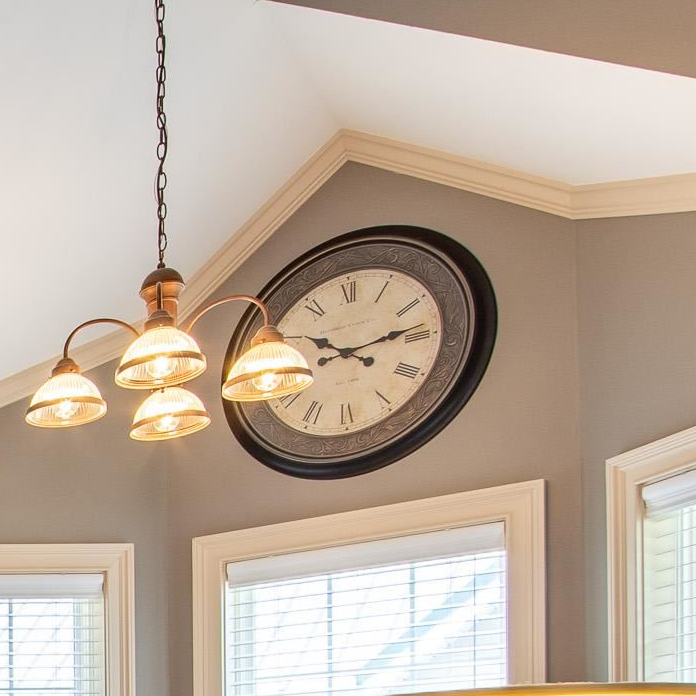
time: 10:13
